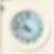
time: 10:46
